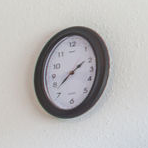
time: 1:37
